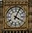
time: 4:04
